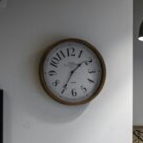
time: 1:35
